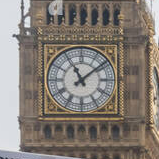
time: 11:08
